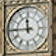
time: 11:44
